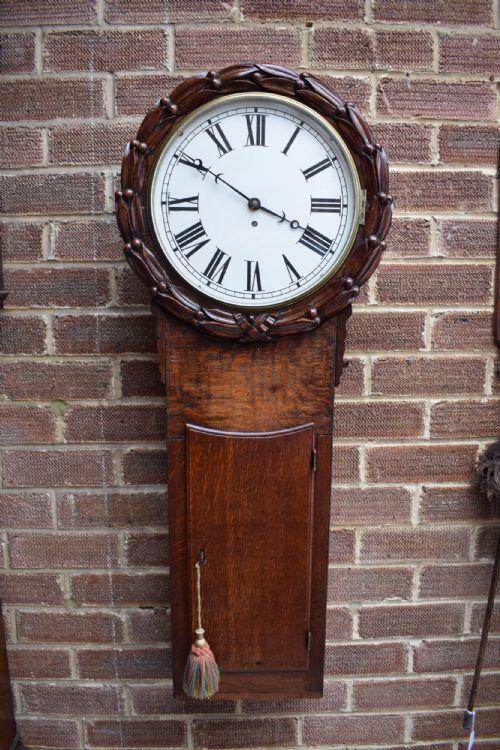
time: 3:50
